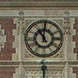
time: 11:00
